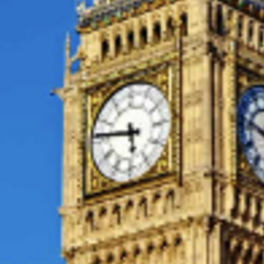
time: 5:46
